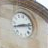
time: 8:12
